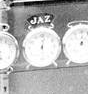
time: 12:28
